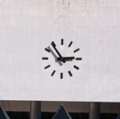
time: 2:54
